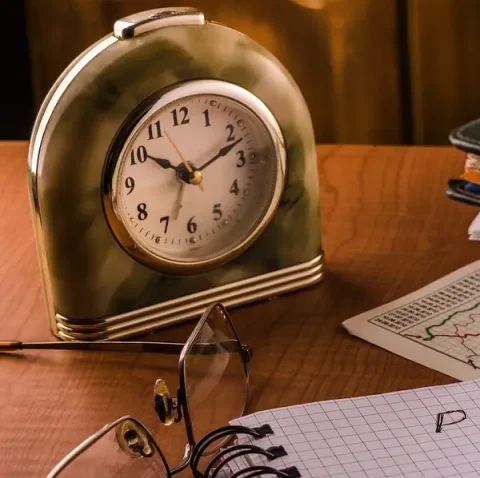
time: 10:12
